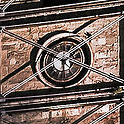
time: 5:49
